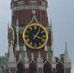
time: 1:18
